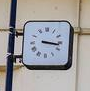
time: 3:16
